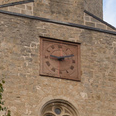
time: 9:10
